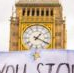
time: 1:18
